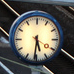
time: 5:31
